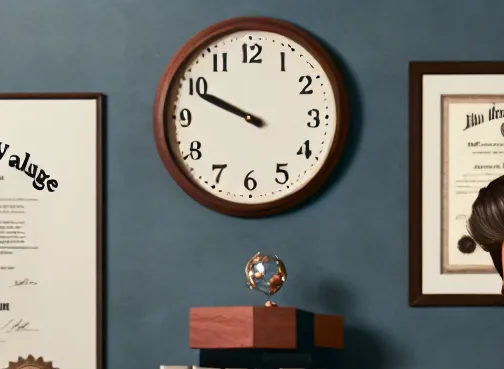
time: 9:48
